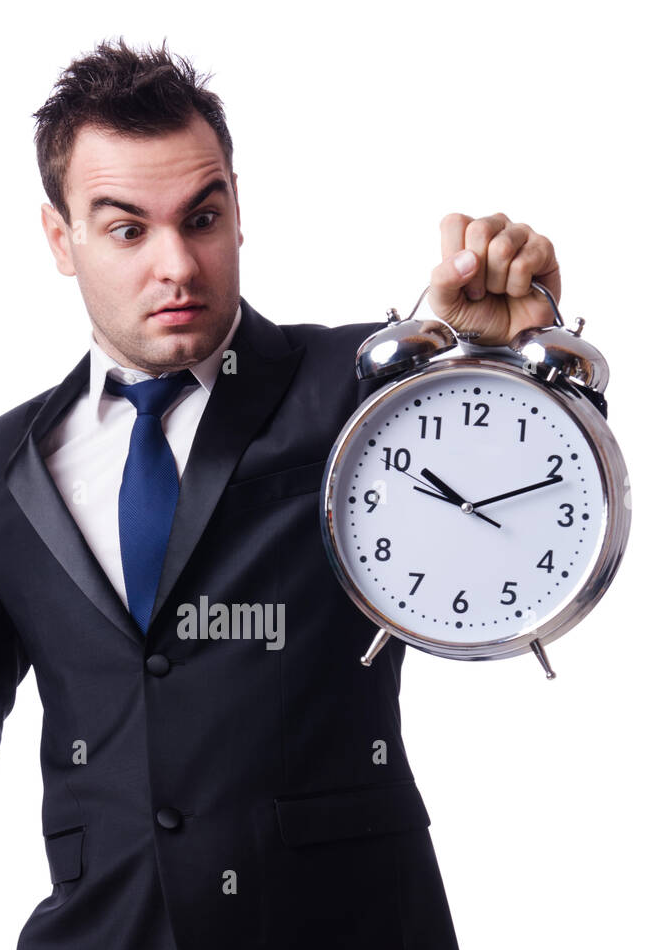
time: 10:11
